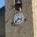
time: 3:37
